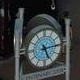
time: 5:14
